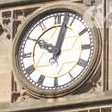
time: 10:02
